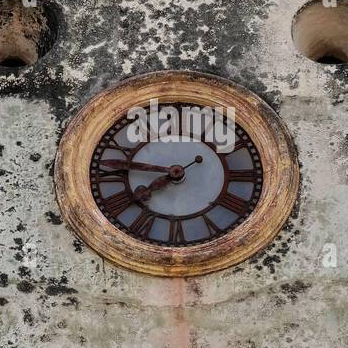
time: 7:46
